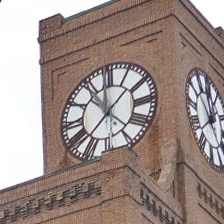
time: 1:37
